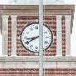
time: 8:40
